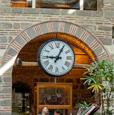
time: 9:04
